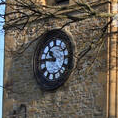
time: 10:45
